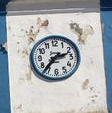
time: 2:36
